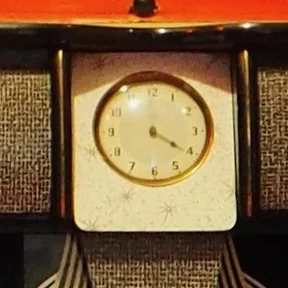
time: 4:20
